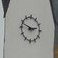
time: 2:48
